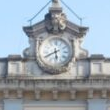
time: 5:40
